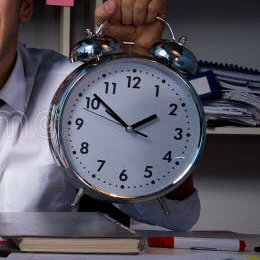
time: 1:51
